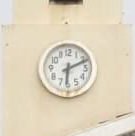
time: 6:10
